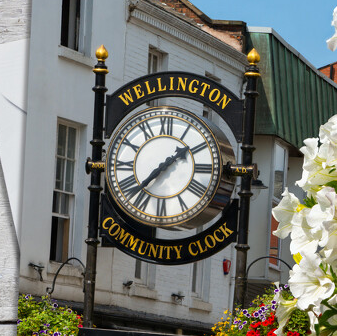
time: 1:36
